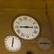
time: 2:45
